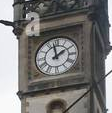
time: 1:57
